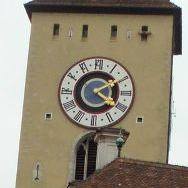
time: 4:09
